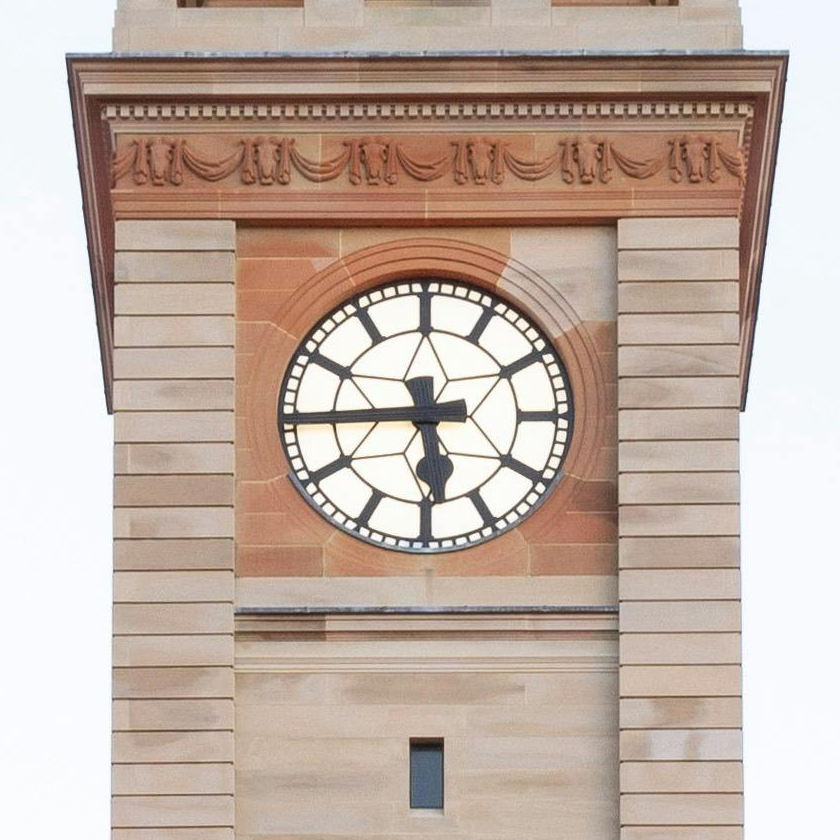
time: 5:44
